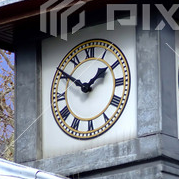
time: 1:50
